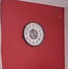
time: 11:21
